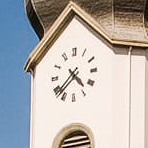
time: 4:37
